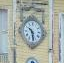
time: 10:28
